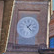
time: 1:22
